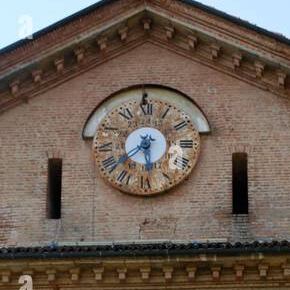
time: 5:38
